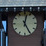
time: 12:25
